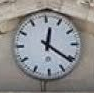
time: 12:21
